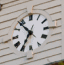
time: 10:35
